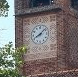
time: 8:07
